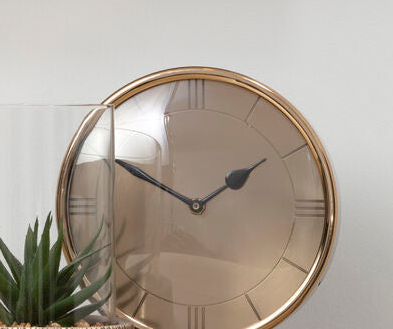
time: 1:49
